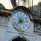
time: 7:37
